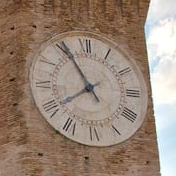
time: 7:54
